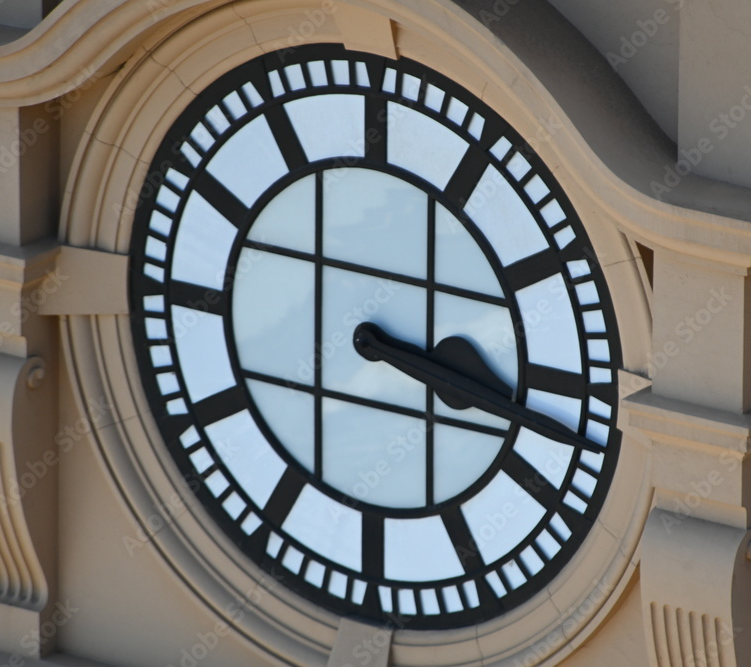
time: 3:17
